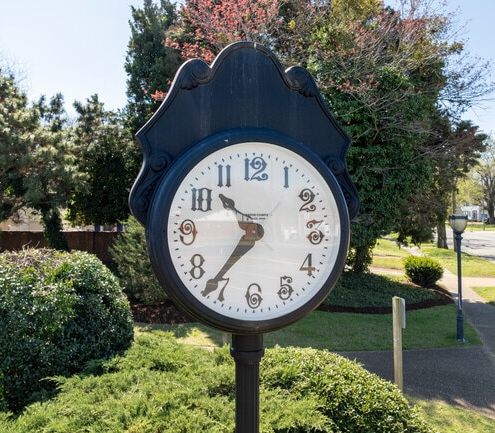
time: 10:36
